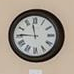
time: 11:45
